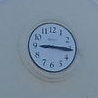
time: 3:15
